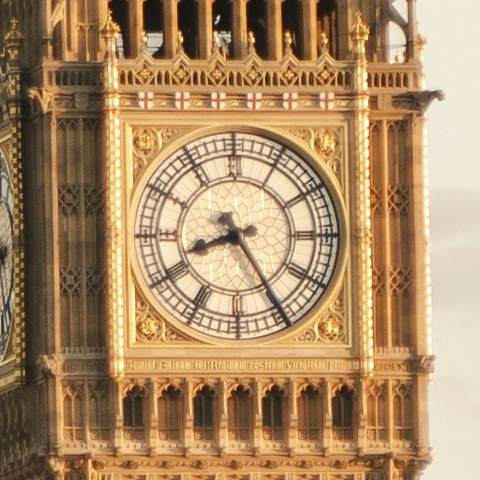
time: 8:24
